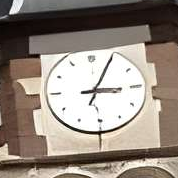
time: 3:04
